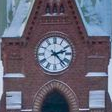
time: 2:23
